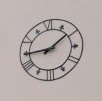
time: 1:44
